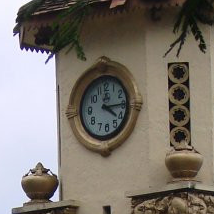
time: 4:14
